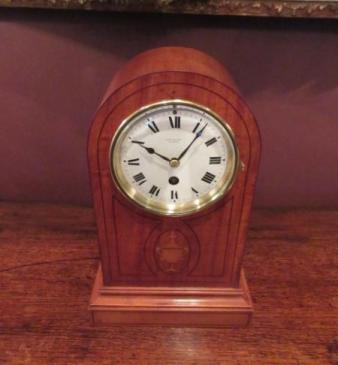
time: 10:06
